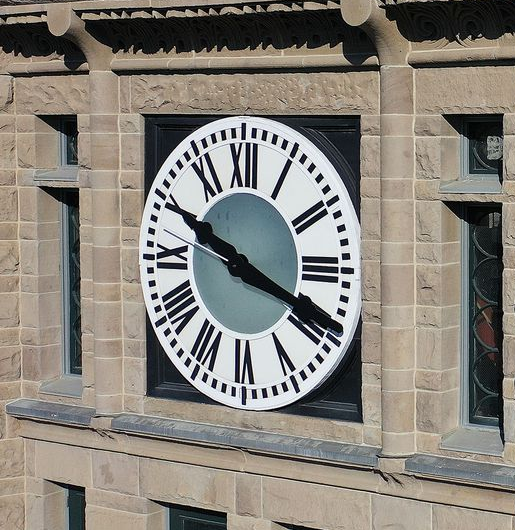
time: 3:49
